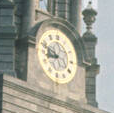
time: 8:47
